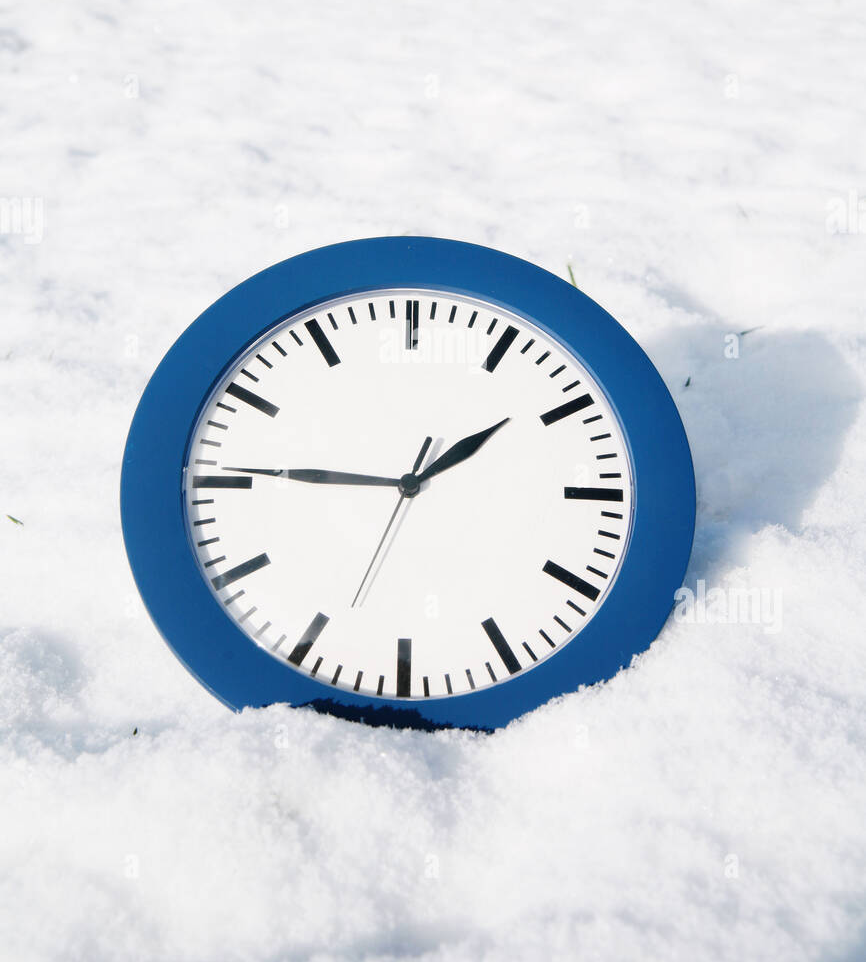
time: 1:45
